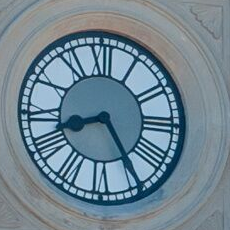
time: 8:24
